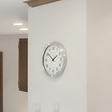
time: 1:51
